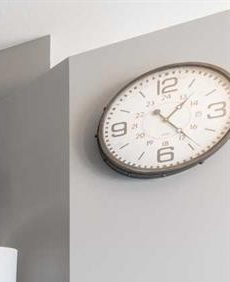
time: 1:23
